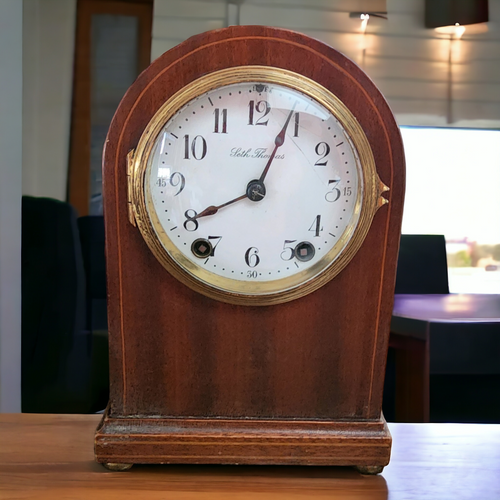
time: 8:04
